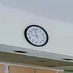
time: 8:57
